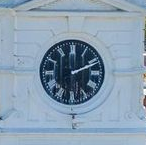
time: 2:11
